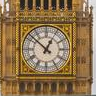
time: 12:52
